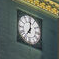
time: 7:00
